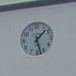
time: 1:27
